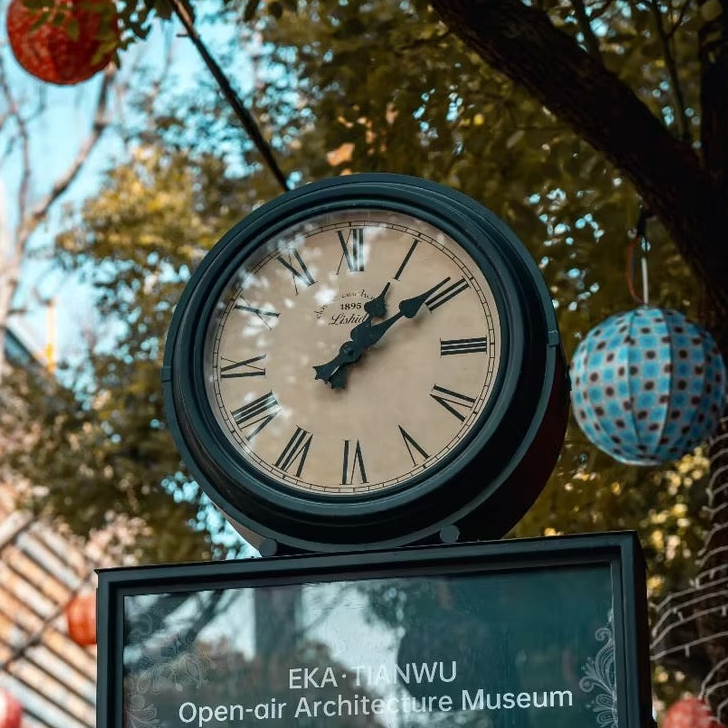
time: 1:09
